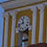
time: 11:41
